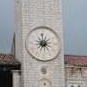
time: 7:59
